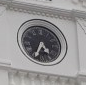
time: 4:34
